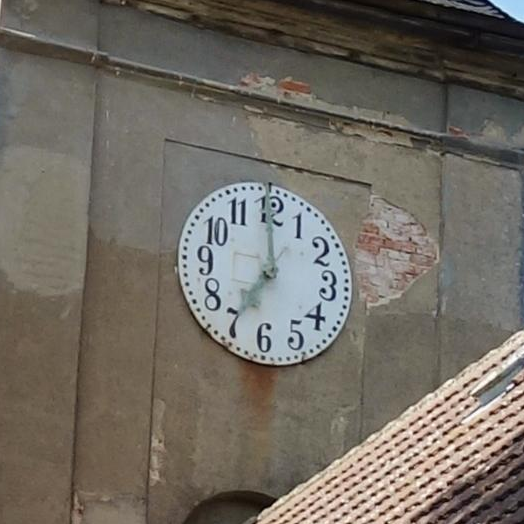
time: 6:59
